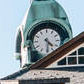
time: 4:29
